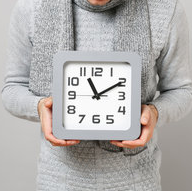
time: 11:09
